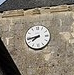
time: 7:43
